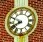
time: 7:49
